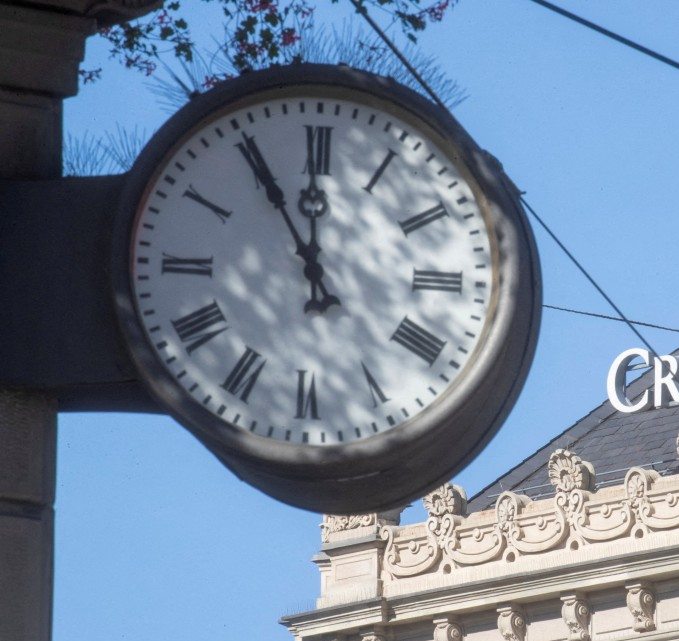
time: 11:55
